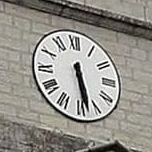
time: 5:28
